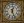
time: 12:26
